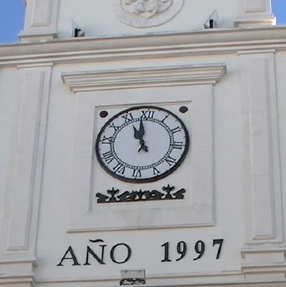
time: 10:58
